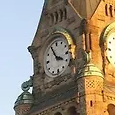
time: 3:55
